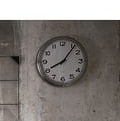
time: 8:06
